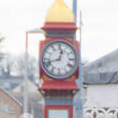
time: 12:42
